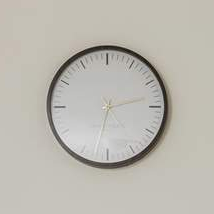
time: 2:32
